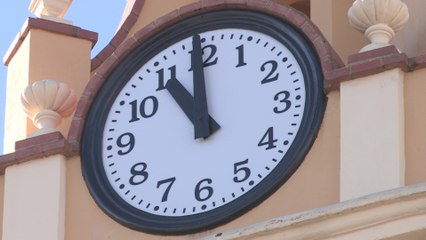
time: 10:59
